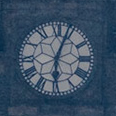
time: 6:03
